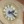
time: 2:21
